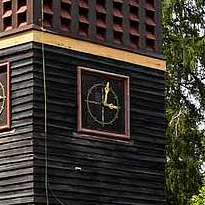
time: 3:01
